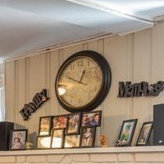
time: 12:49
